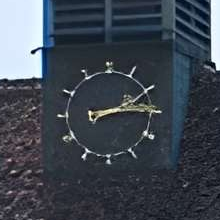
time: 2:14
